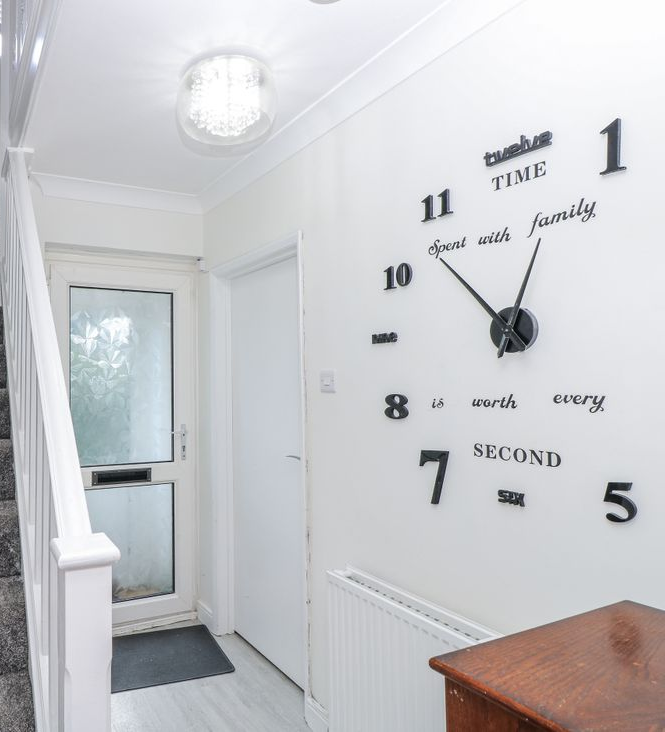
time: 12:53
